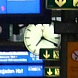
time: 7:18
